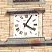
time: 4:04
